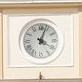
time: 4:03
